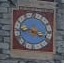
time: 3:43
